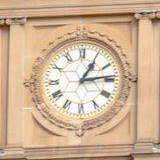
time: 1:13
